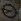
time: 7:46
